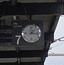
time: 1:16
